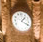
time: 1:18
